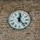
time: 12:23
